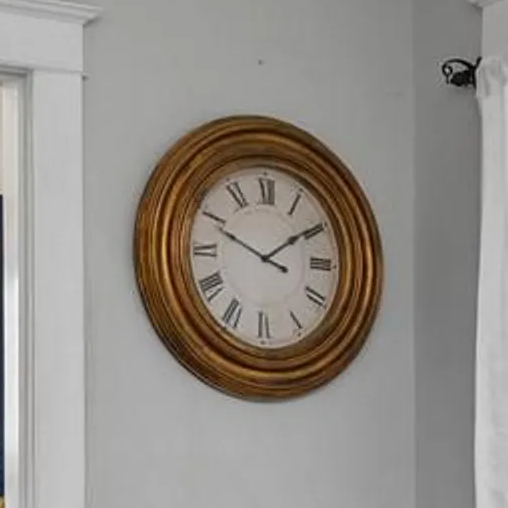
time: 1:49
